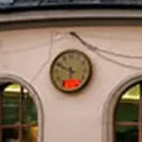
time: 5:49
